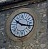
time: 10:17
